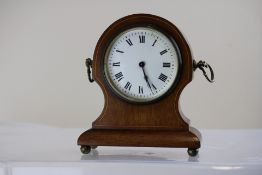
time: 5:26
